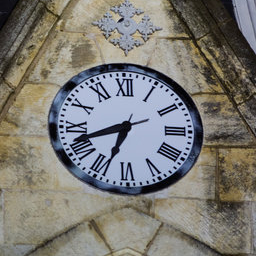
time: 6:41
